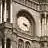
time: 3:22
